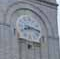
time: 8:16
